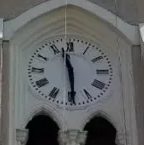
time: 11:29
